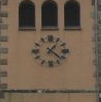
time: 1:21
